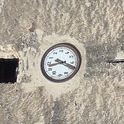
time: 8:18
